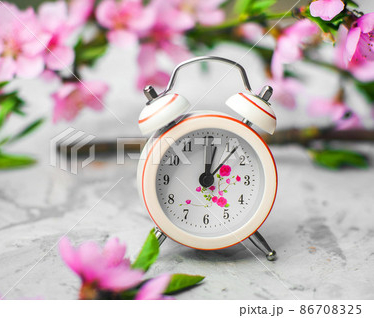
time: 1:01
